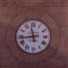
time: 11:43
